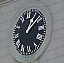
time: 1:08
